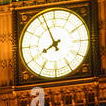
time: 7:56
